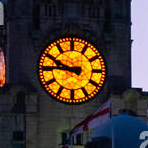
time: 9:45
